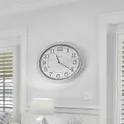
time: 11:20
